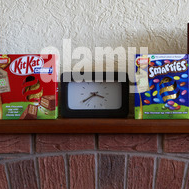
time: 3:37
